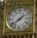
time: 1:38
